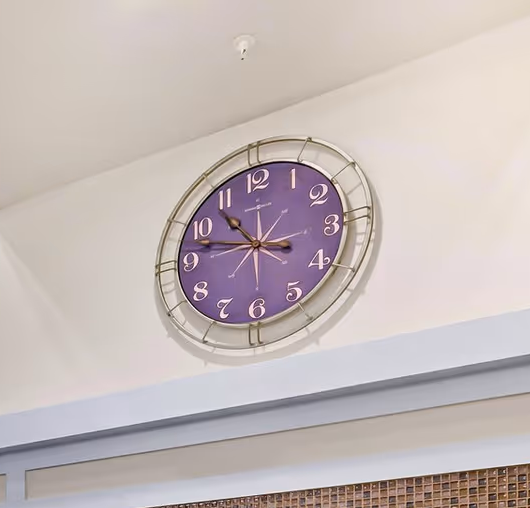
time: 10:47
